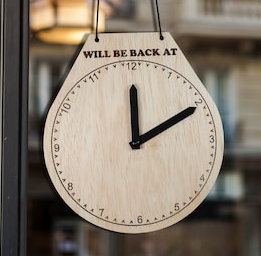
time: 12:10
